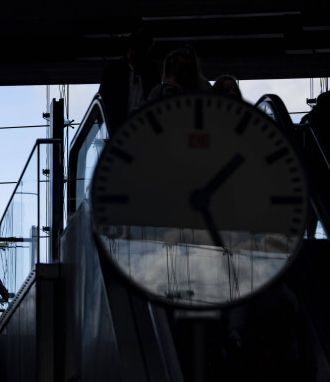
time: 1:24
